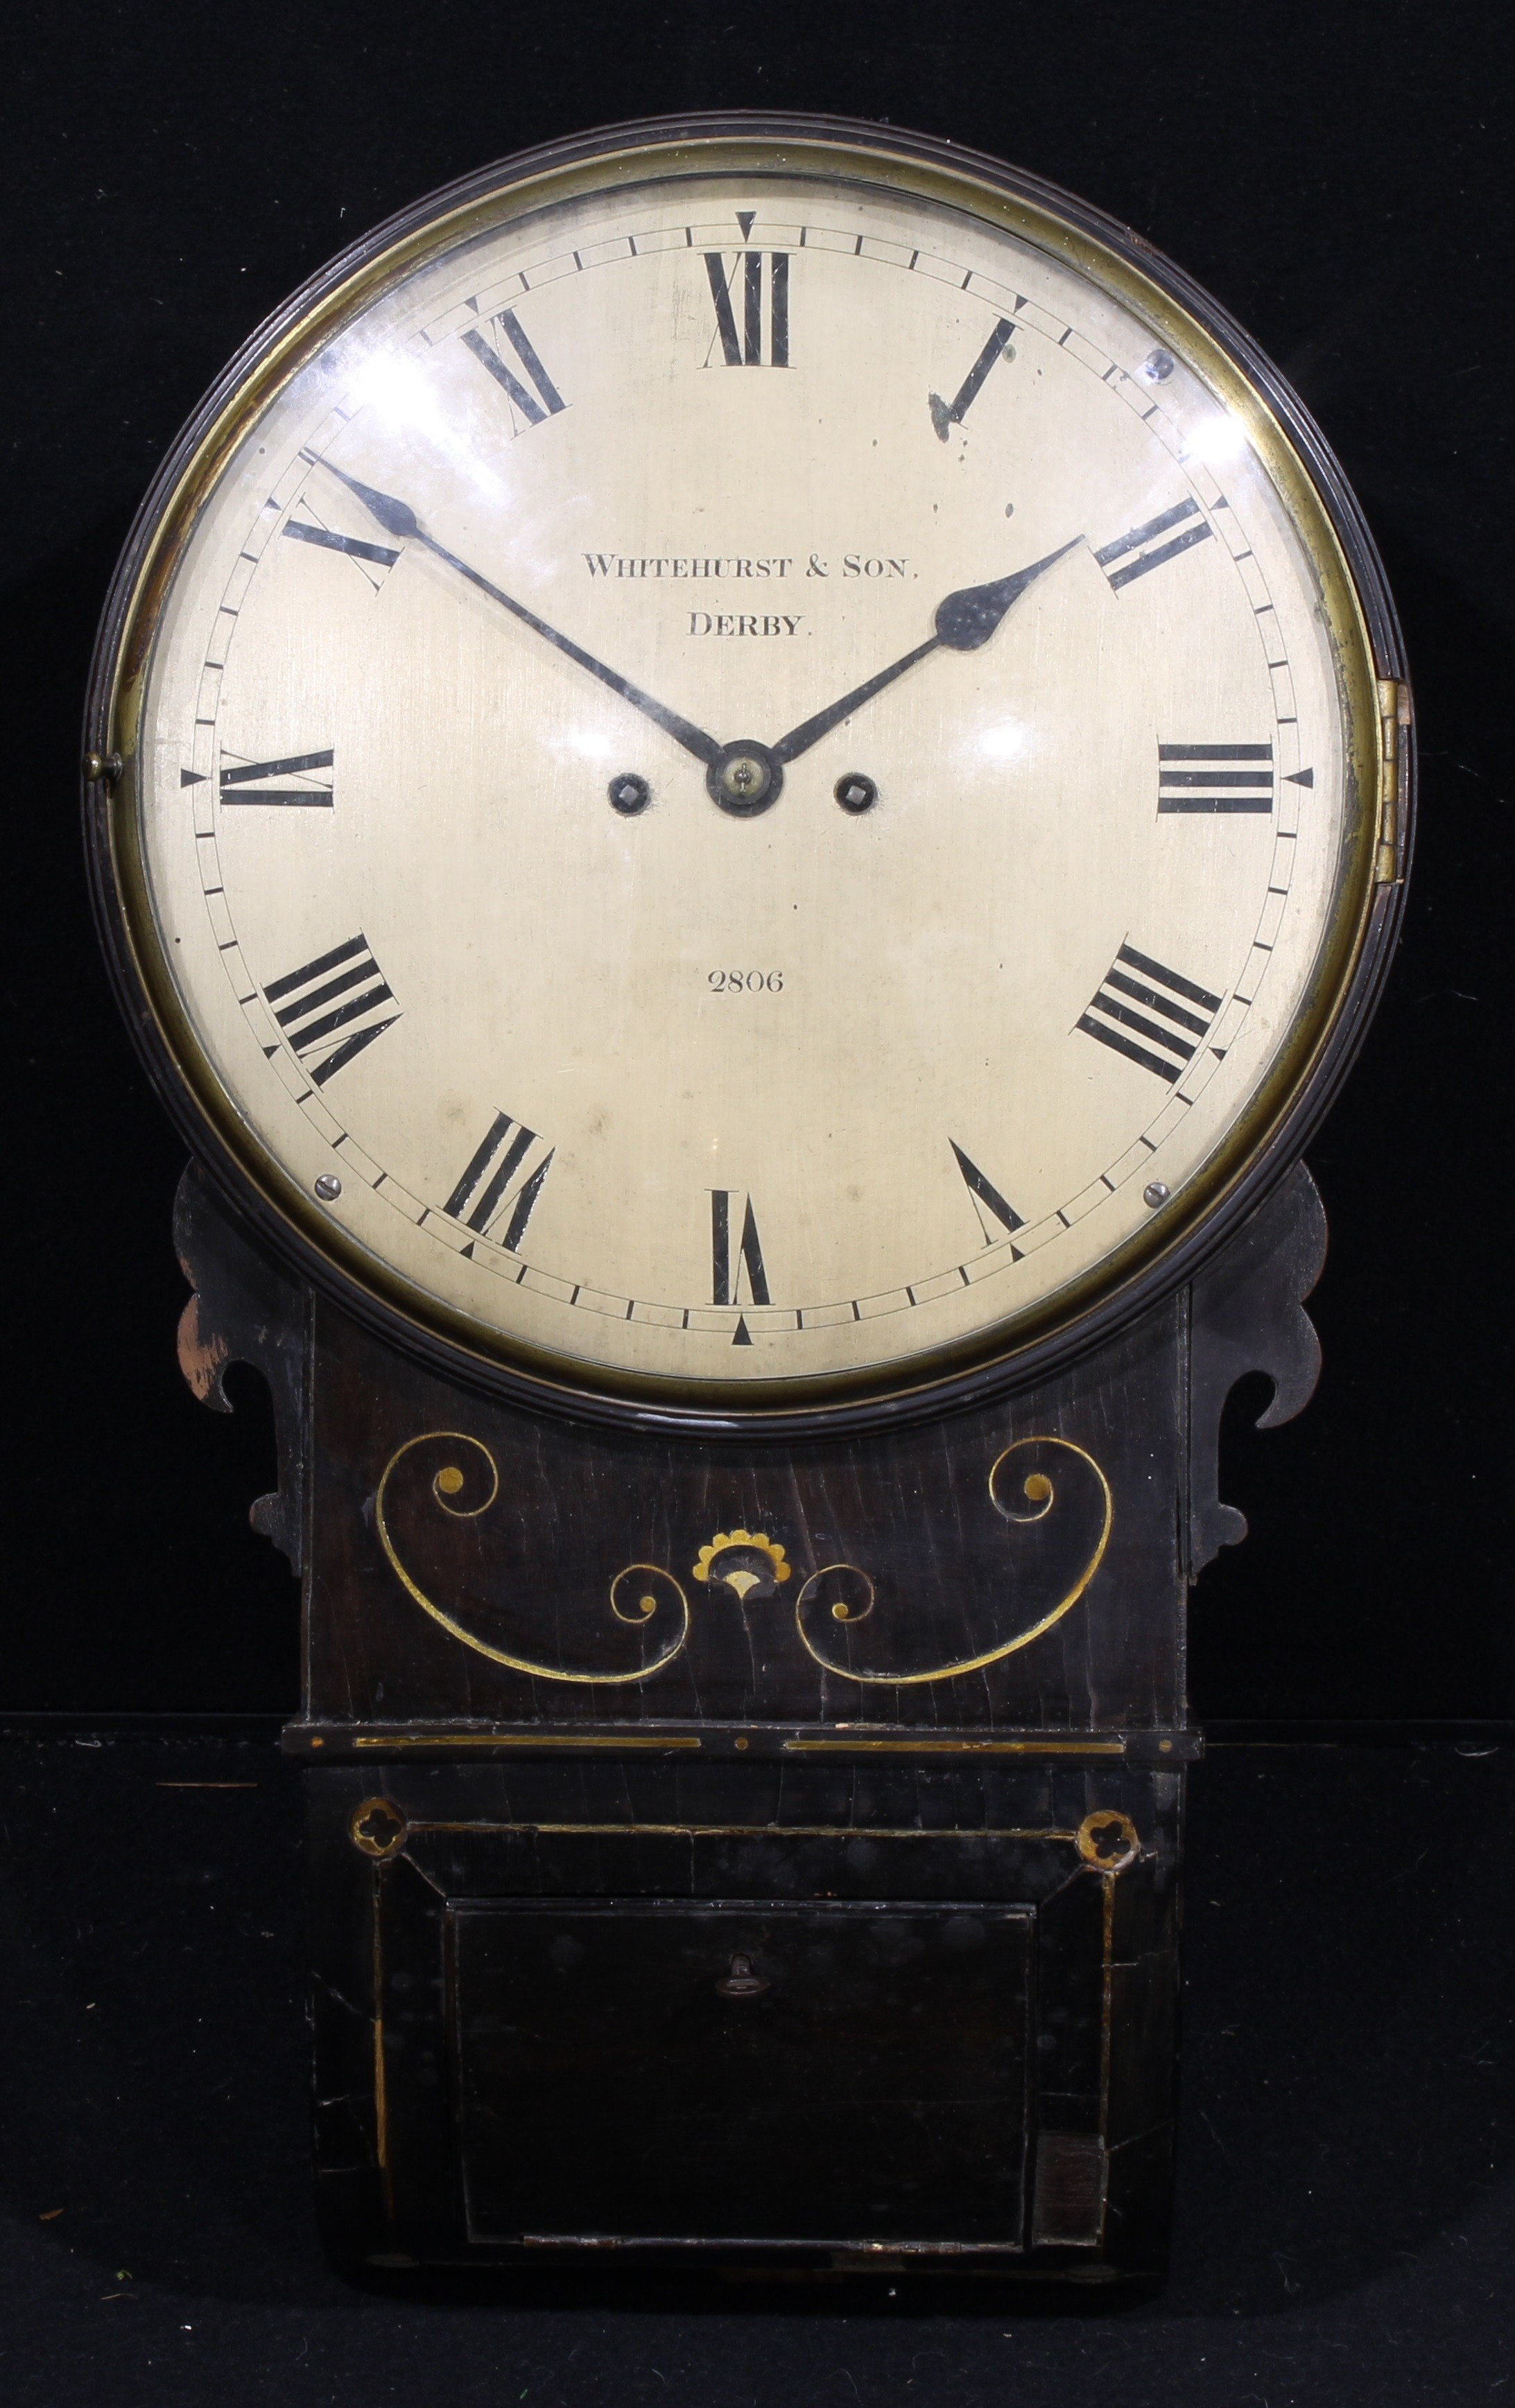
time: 1:50
